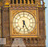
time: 6:25
